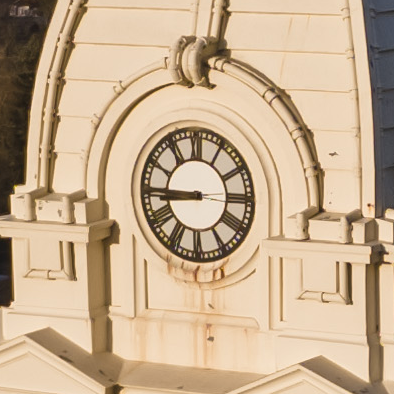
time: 8:45
